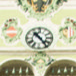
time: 10:23
